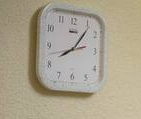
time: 8:06
